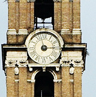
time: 2:57
